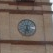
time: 5:31
